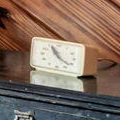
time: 11:22
